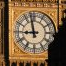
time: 8:57
